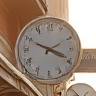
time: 3:49
